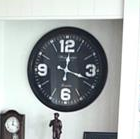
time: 12:18
